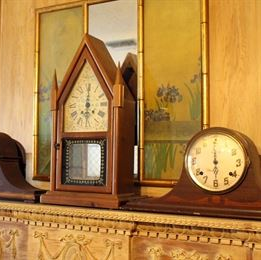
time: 5:59
